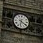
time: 6:20
